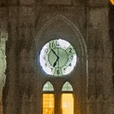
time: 6:53
